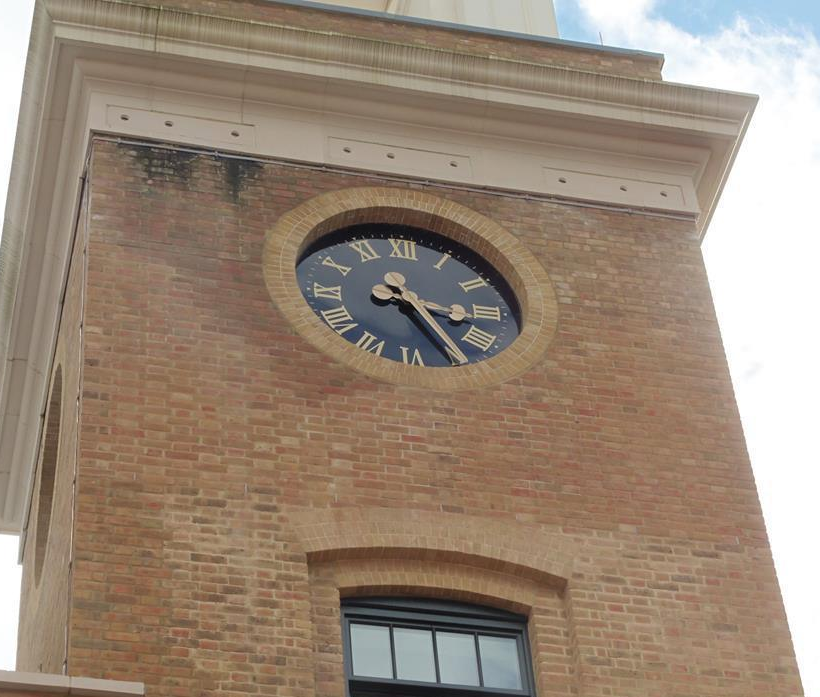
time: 3:24
